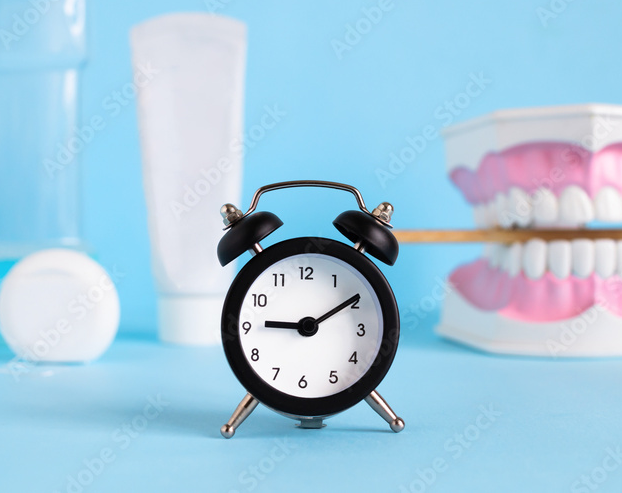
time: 9:09
